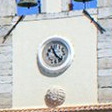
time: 11:21
